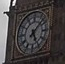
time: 5:07
